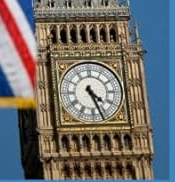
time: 4:26
